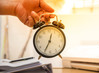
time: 12:34
